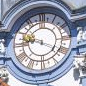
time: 9:18
